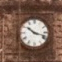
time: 10:17
